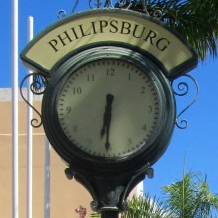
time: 6:30
